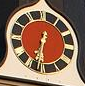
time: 6:32
